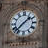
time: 1:37
